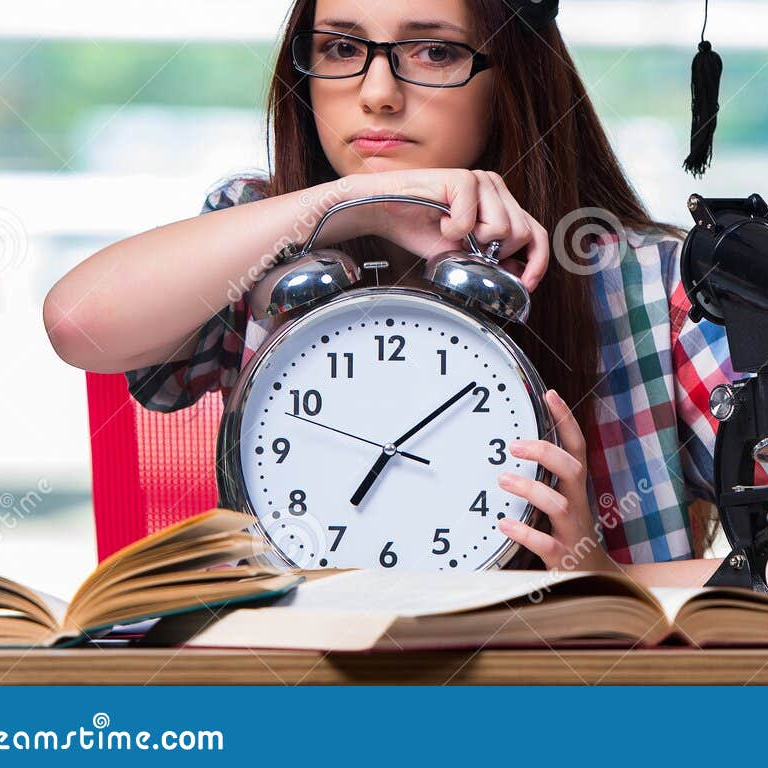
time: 7:08
